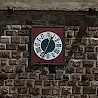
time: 12:34
